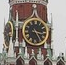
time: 3:24
